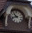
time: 10:42
